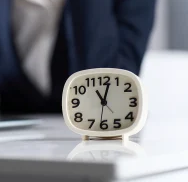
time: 11:02
